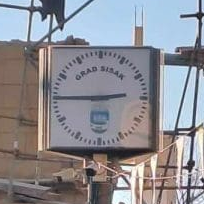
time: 2:45
